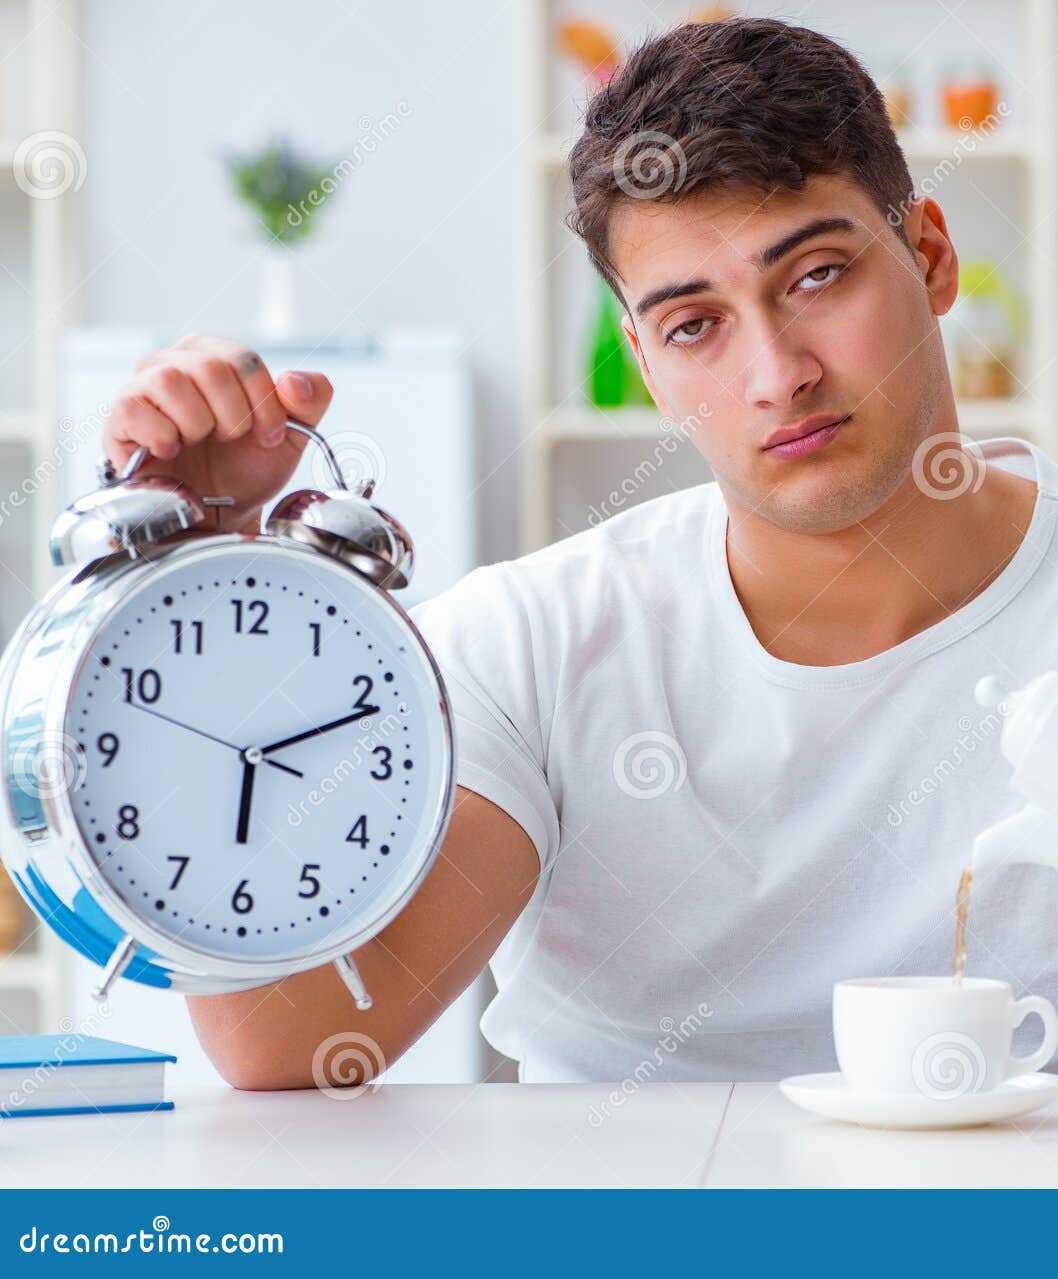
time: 6:11
